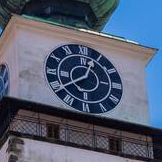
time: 12:39
